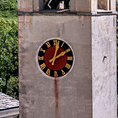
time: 2:02
